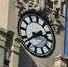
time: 2:38
